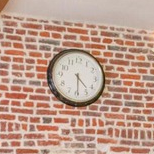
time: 4:29
